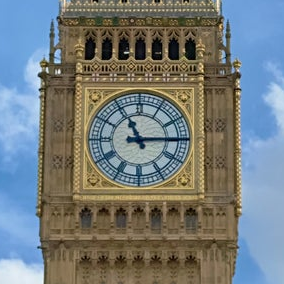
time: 11:14
